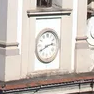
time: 2:40
